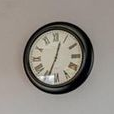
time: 12:33
